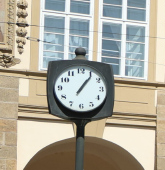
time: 1:06
